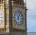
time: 6:06
